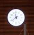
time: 11:38
